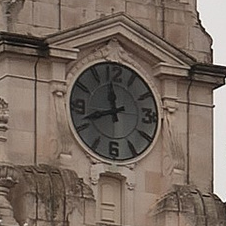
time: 11:41
